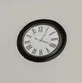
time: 1:19
